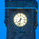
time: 7:32
